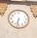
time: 6:32
